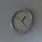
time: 1:23
